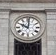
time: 10:00
